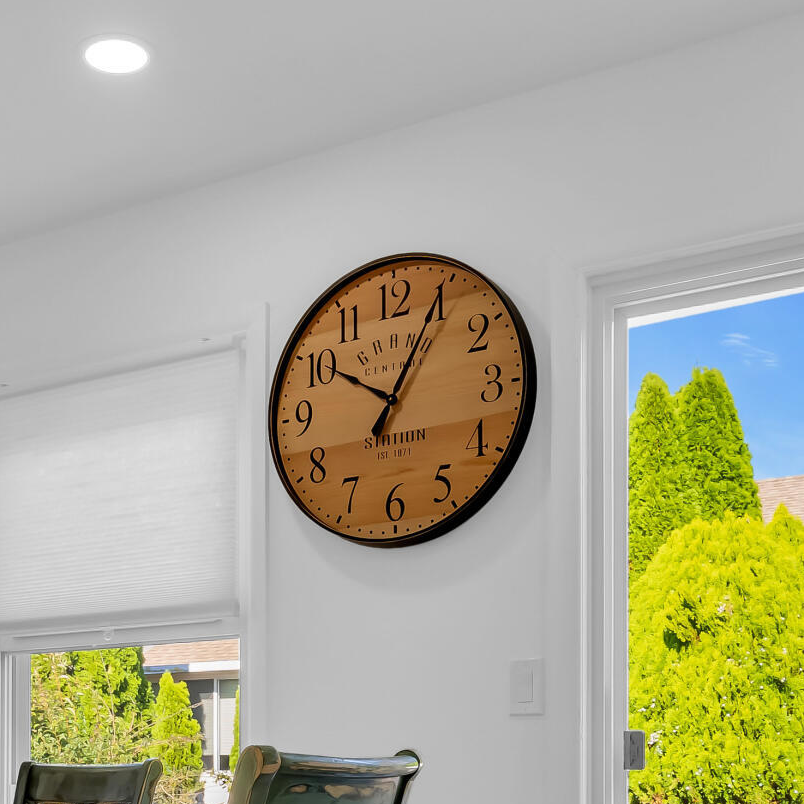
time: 10:04
